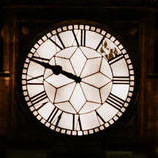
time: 9:48
